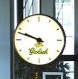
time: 9:48
